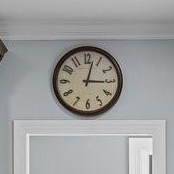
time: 3:02
